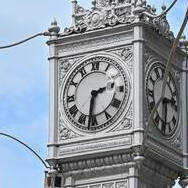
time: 2:31
